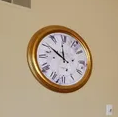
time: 11:50
